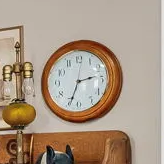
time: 2:33
